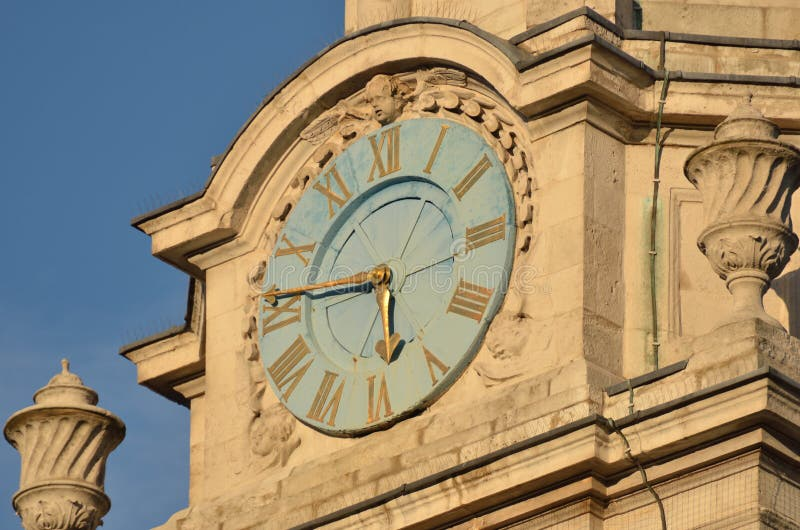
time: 5:45
